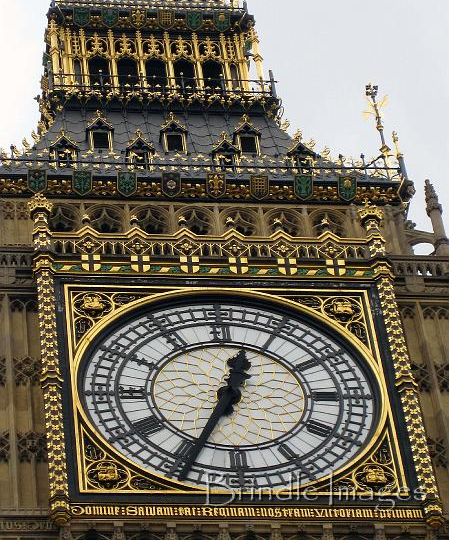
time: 12:34
